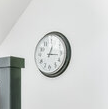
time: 1:16
